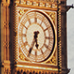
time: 5:34
